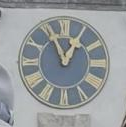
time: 12:56
